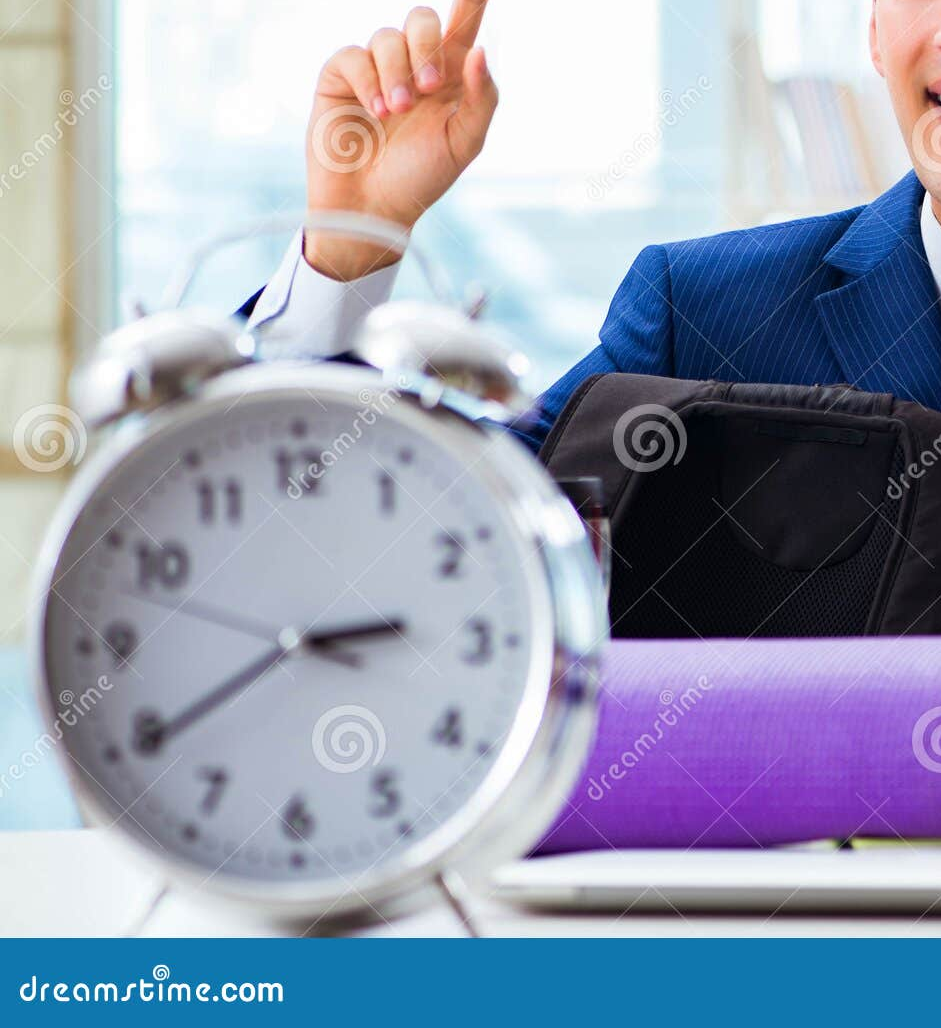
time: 2:39
